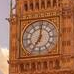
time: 7:01
